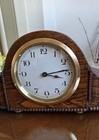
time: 3:13
